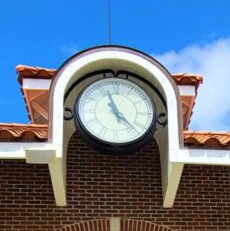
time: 11:22
